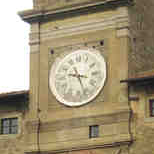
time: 9:26
